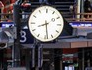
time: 8:28
